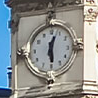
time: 12:28
